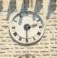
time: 2:30
